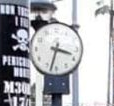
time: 3:32
